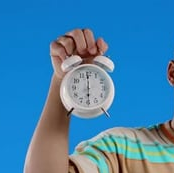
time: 5:59
